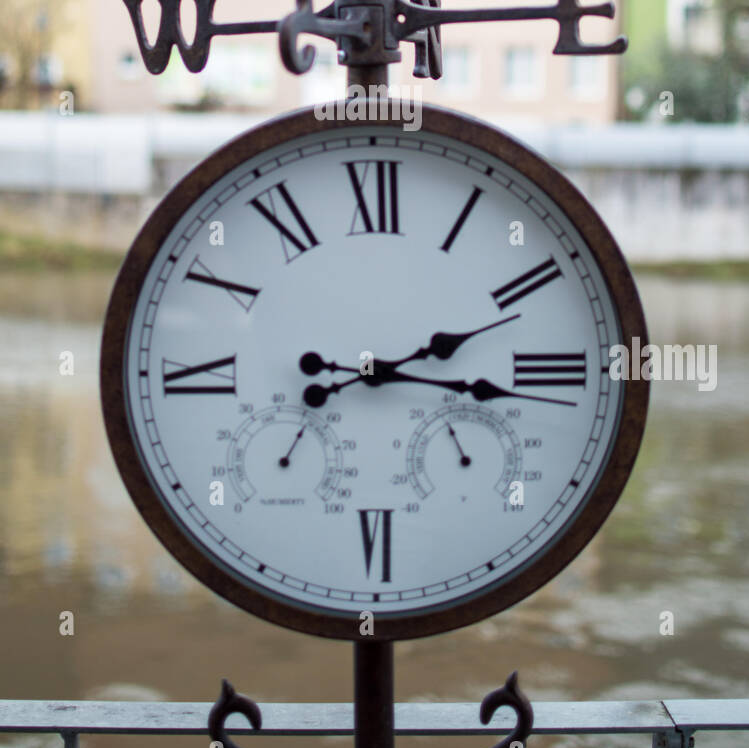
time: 2:15
